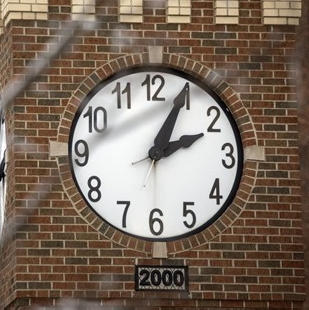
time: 2:04
